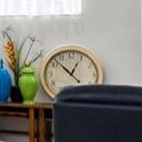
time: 12:52
